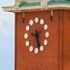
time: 9:27
